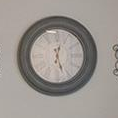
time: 12:26
